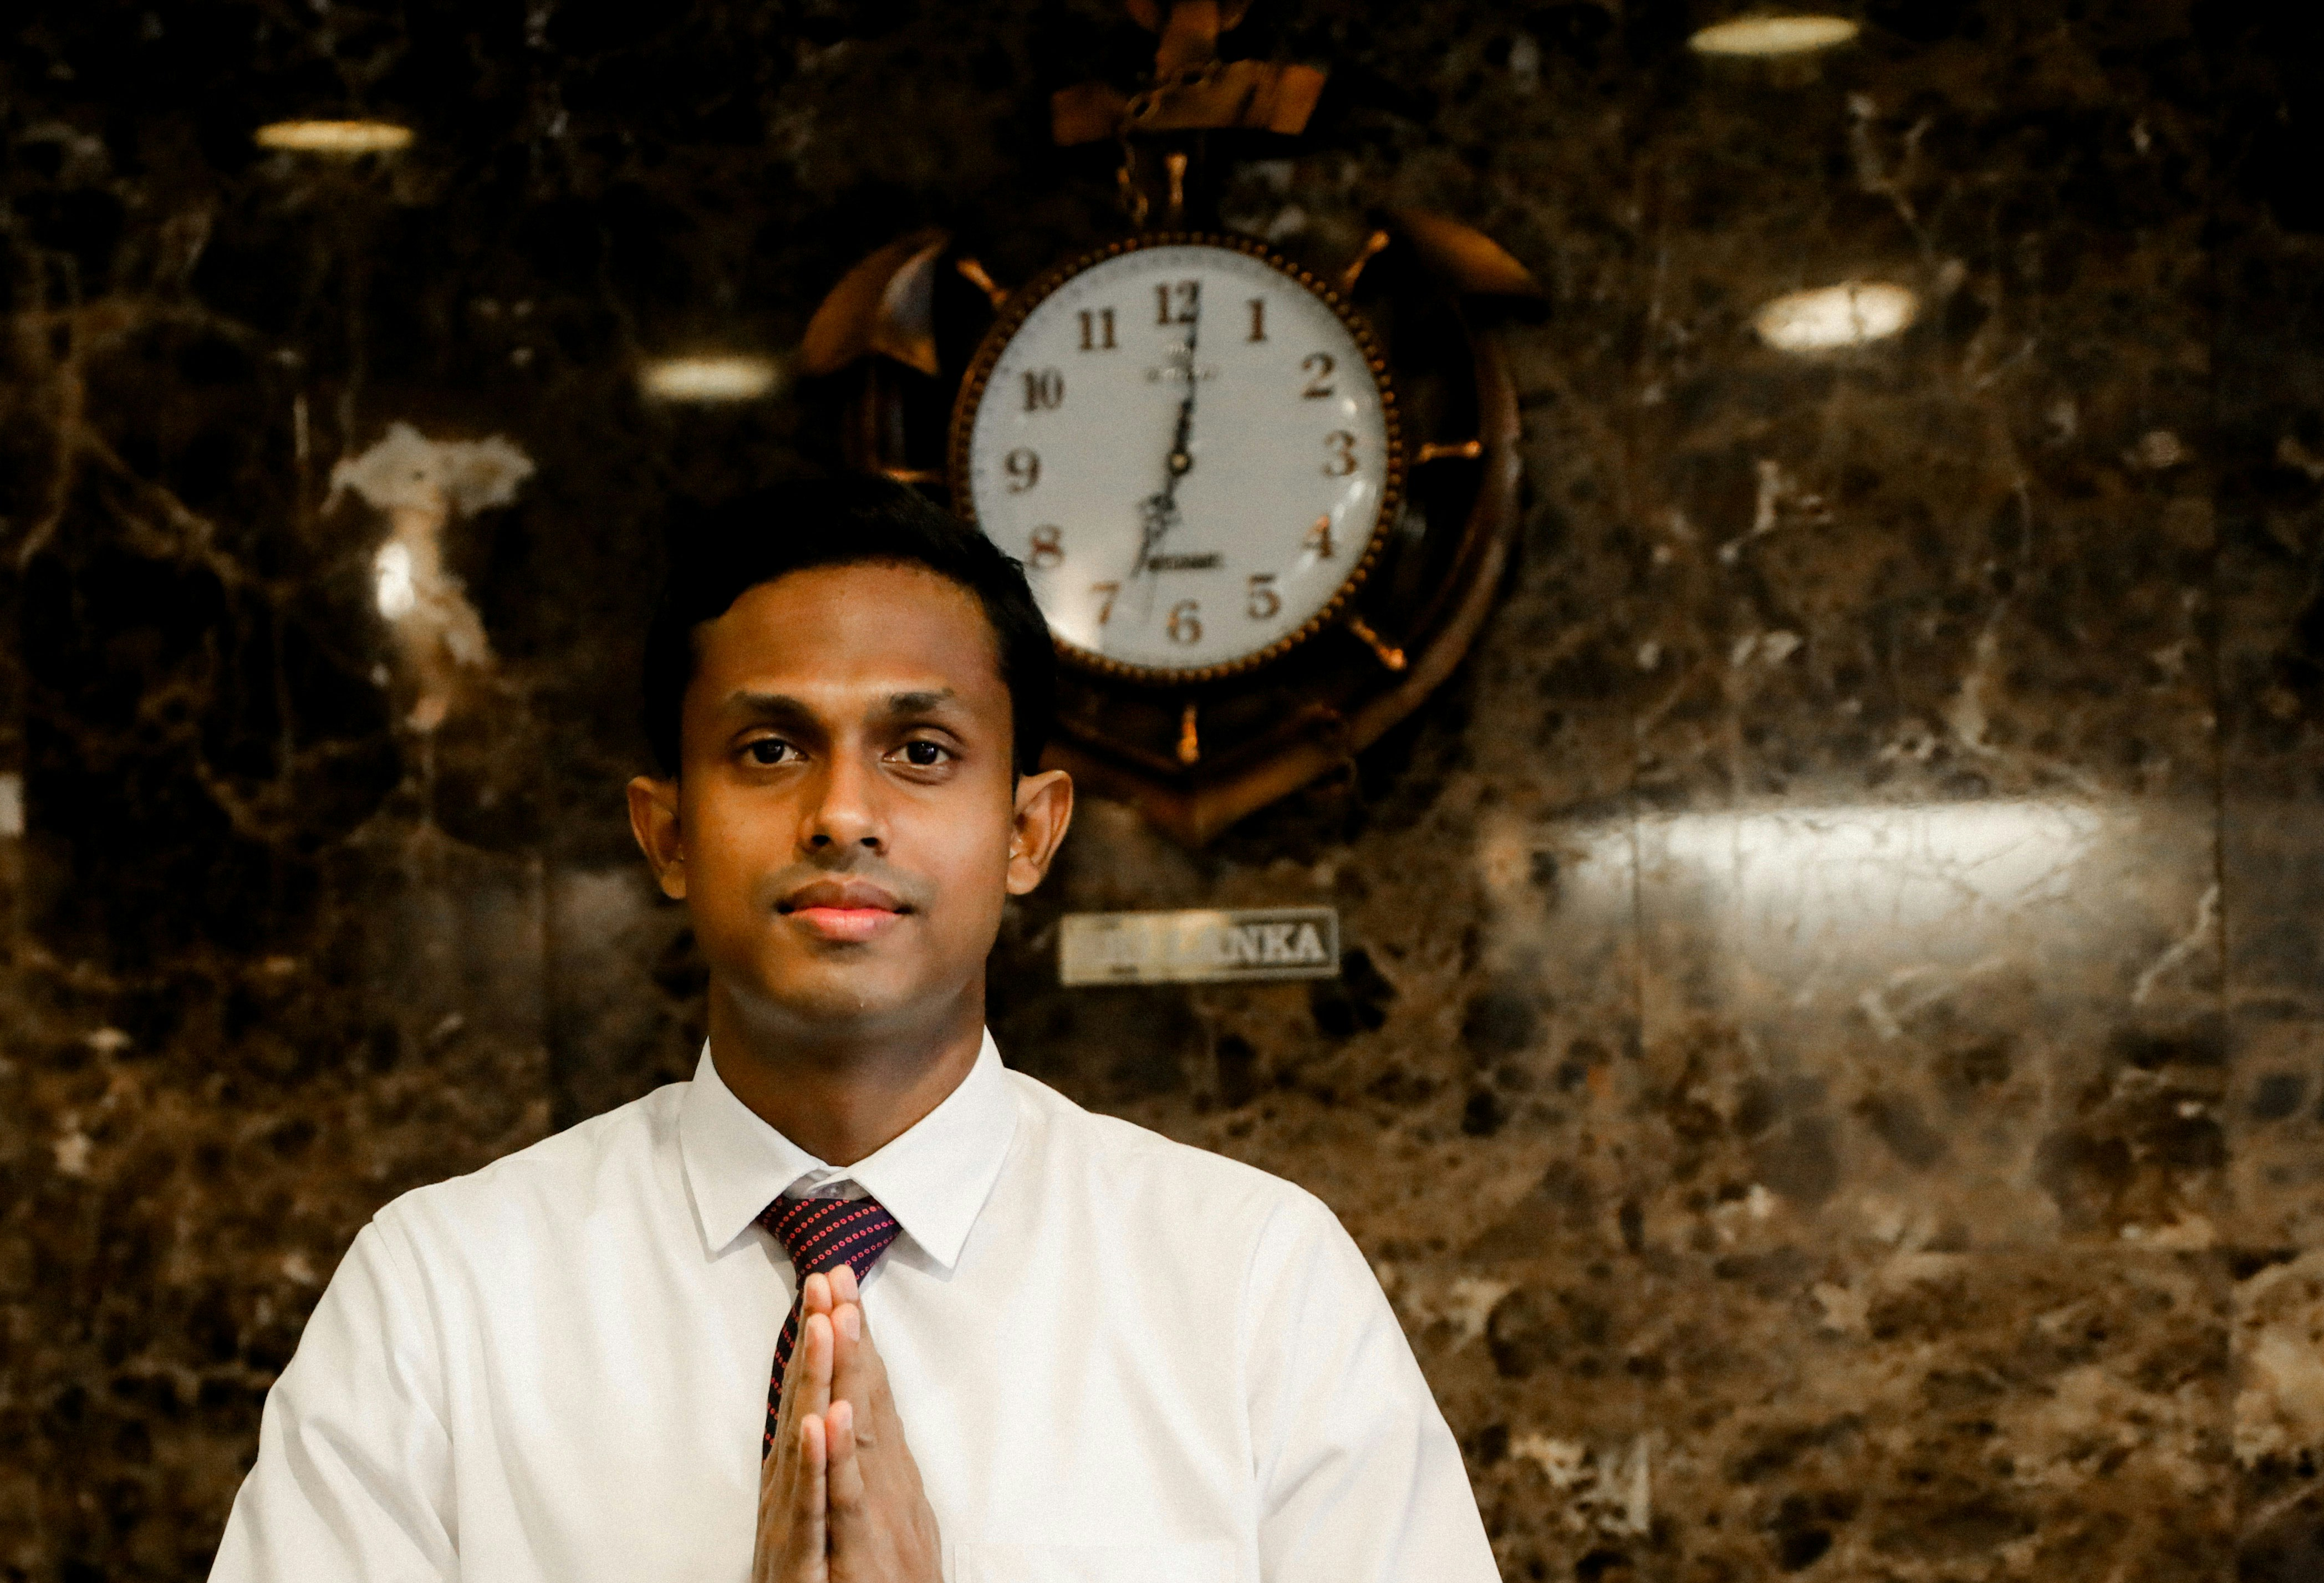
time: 7:01
